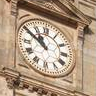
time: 10:50
